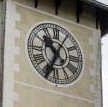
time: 10:34
